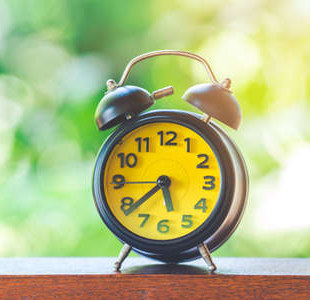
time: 5:38
